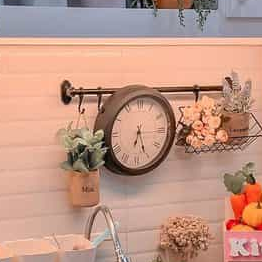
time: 6:26
